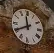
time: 11:40
